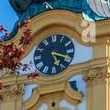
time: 5:18
